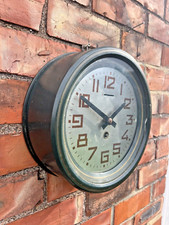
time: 1:50
